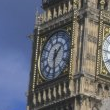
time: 1:30
